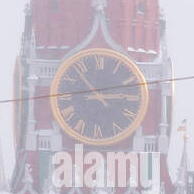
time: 2:53
